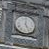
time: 5:00
